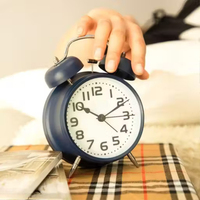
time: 10:10
